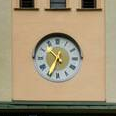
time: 10:34
